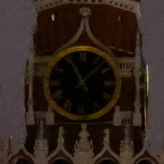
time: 11:07
